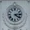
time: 4:13
